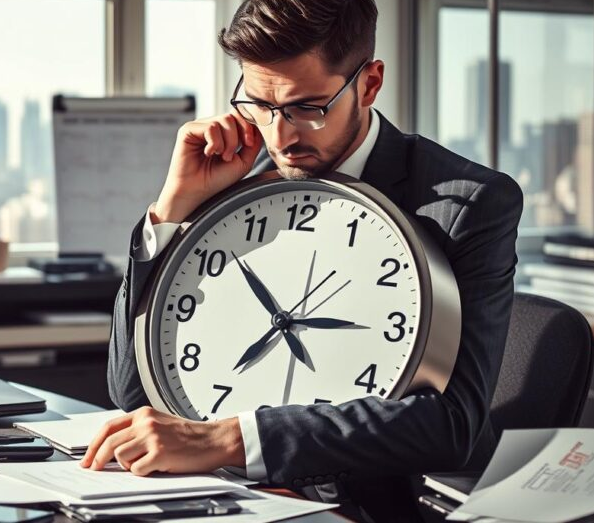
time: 2:52
